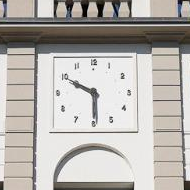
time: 5:49
